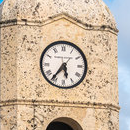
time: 5:36
